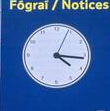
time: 4:16
